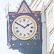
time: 1:50
